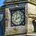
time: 8:12
